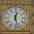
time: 12:27
